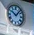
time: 10:07
